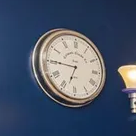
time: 6:45
